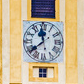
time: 11:38
